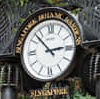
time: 2:52
